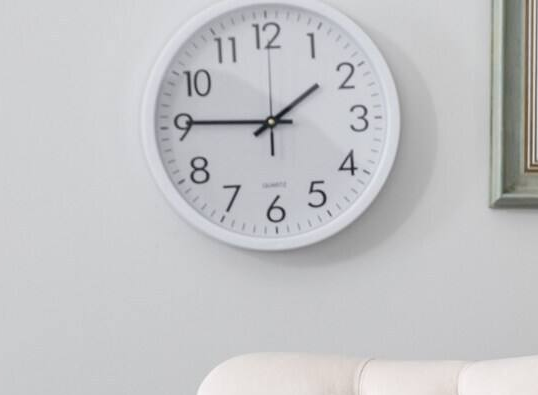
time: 1:45
